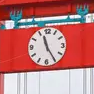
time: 11:24
